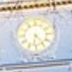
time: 6:23
